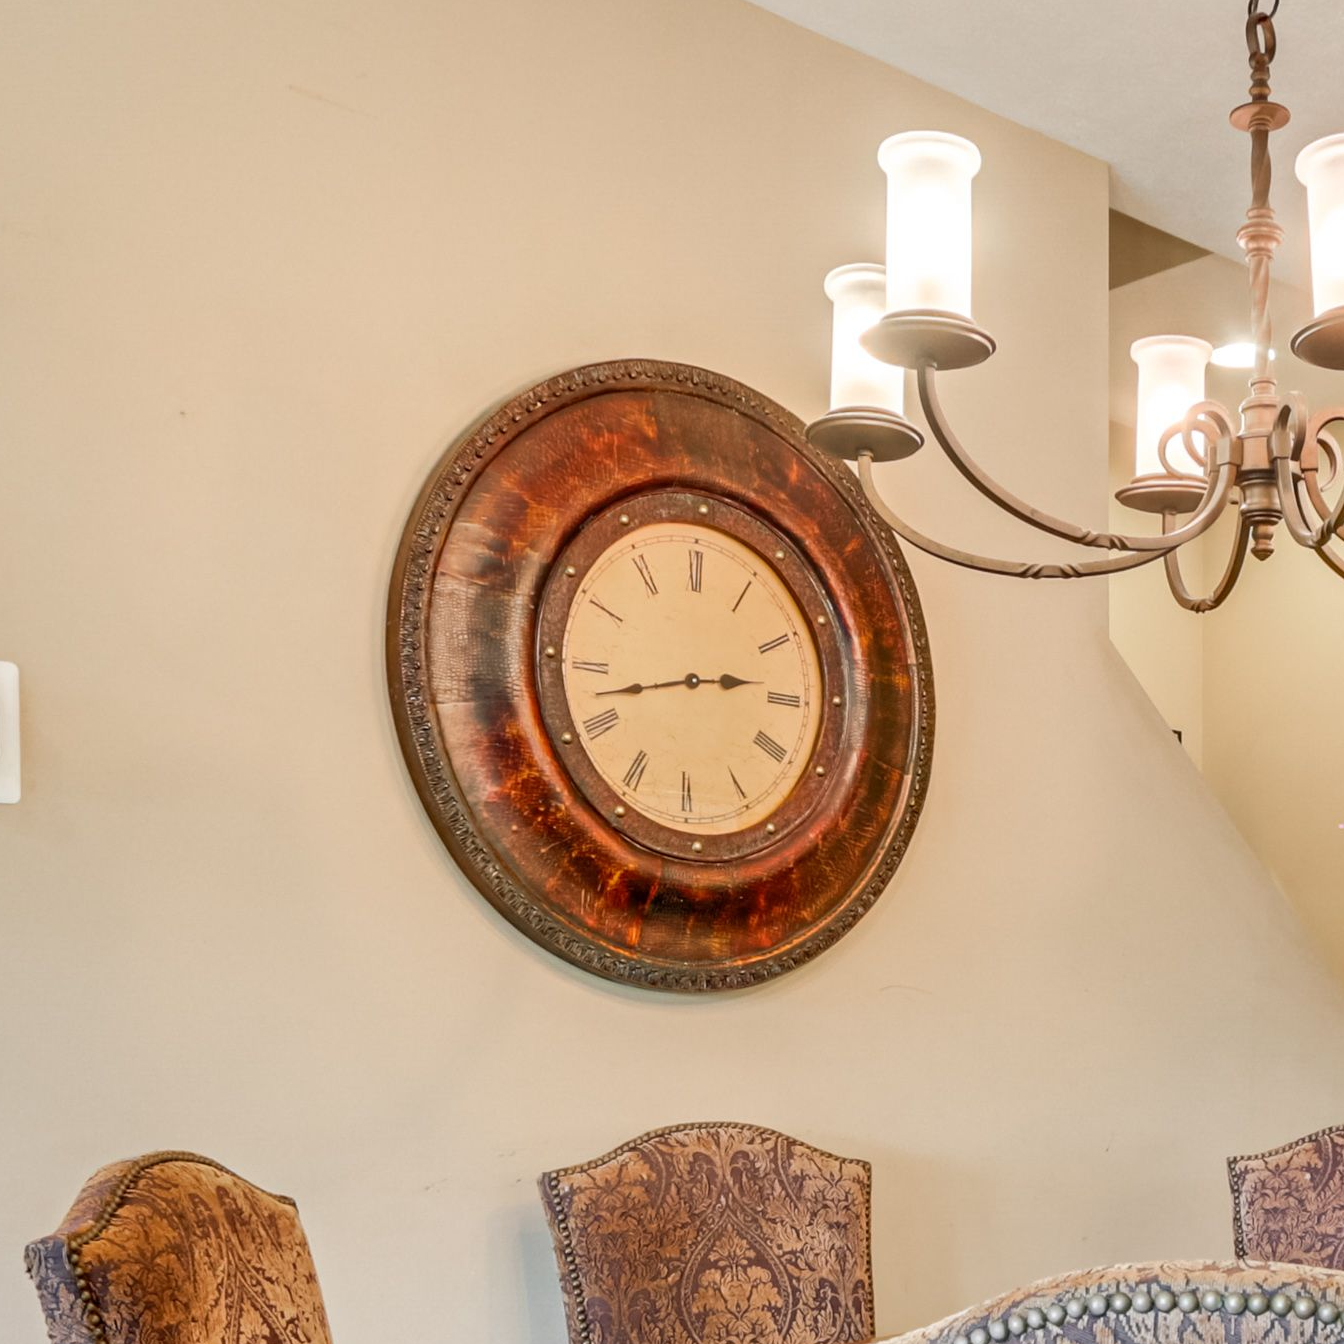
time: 2:42
